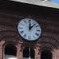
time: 12:07
